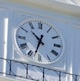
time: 10:32
